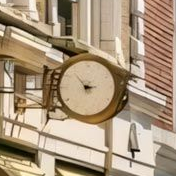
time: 2:53
